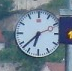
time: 6:37
